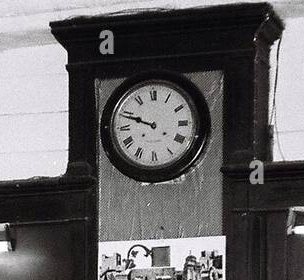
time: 9:48
